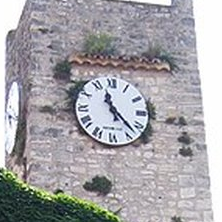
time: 11:22
